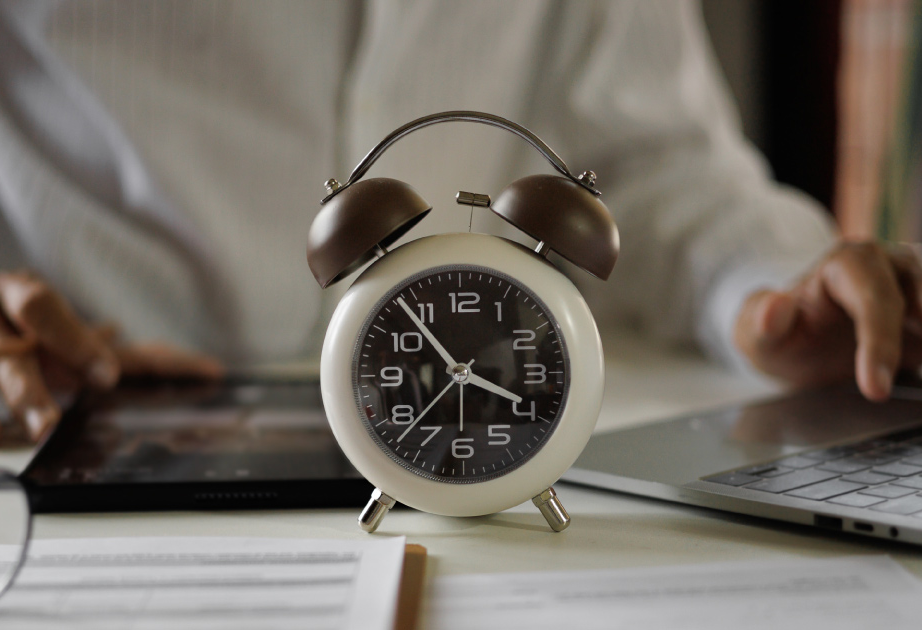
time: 3:53
